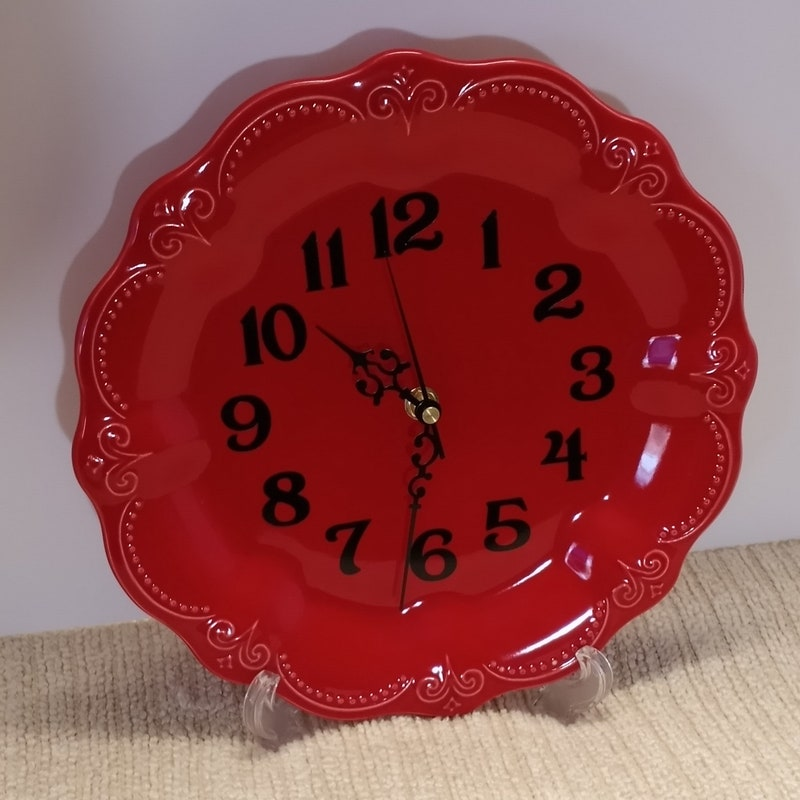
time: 10:31
